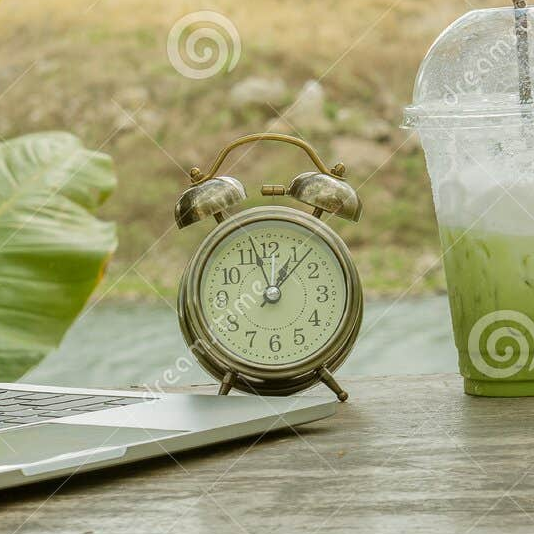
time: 12:57
